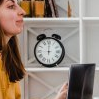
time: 12:00
